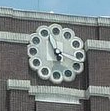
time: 11:18
